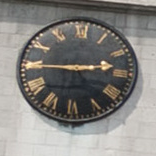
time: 2:45
